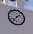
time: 1:36
